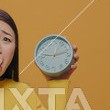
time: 9:12
